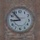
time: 8:53
